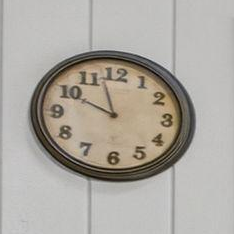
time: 9:57
